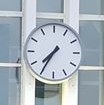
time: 7:35
